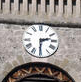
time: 2:30
